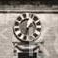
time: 1:33
